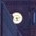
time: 5:12
